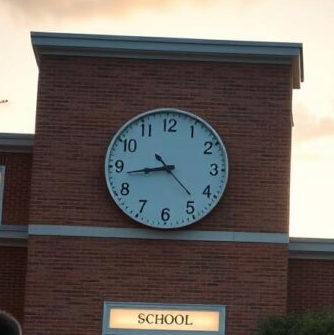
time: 8:43
